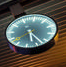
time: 5:22
